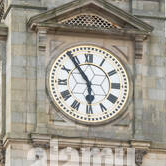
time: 5:54
